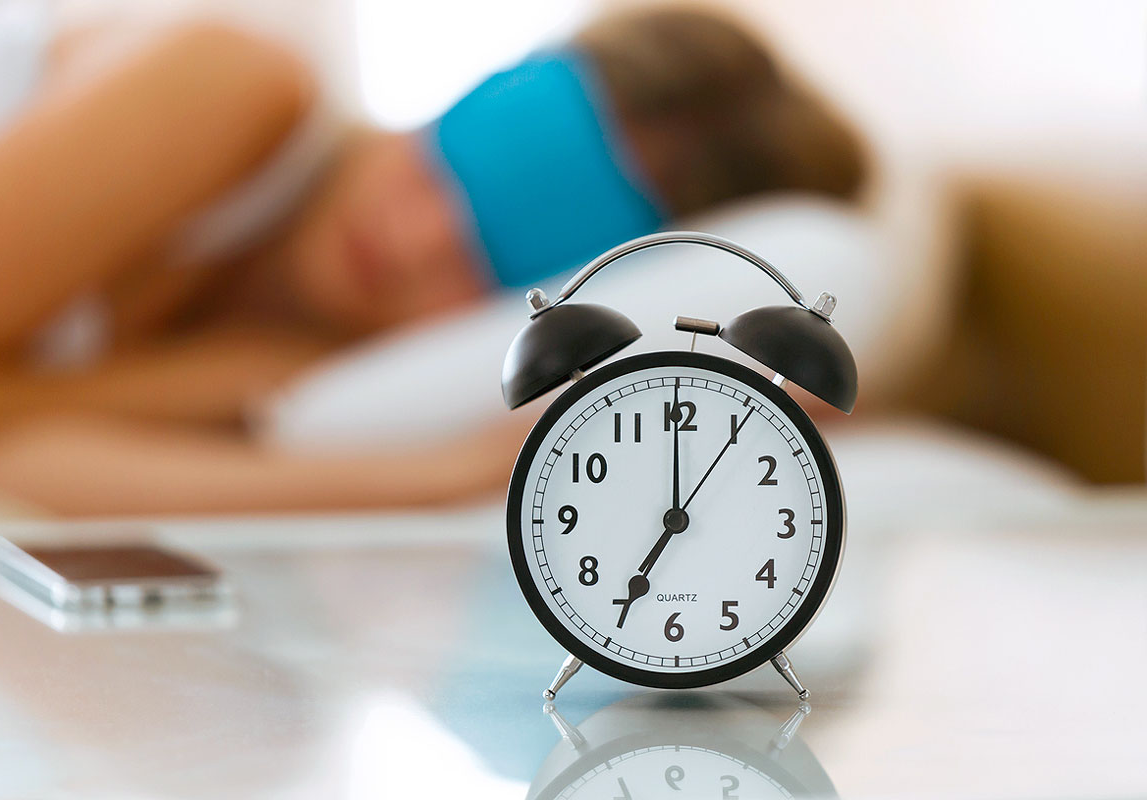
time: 7:00
